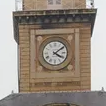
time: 4:09
